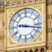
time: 9:17
